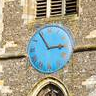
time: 2:54
